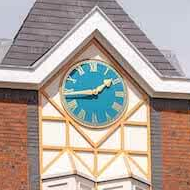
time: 1:44
